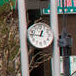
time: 12:46
